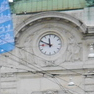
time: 11:48
